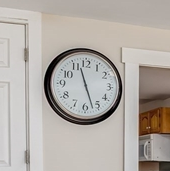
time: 11:26
